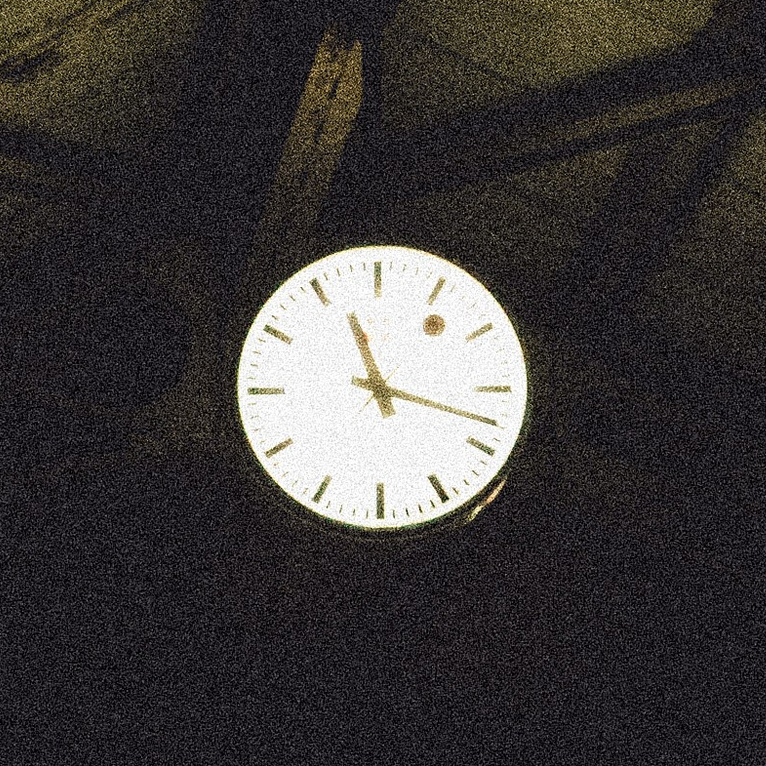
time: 11:17
